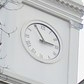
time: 2:54
